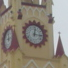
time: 3:02
